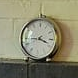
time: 3:44
